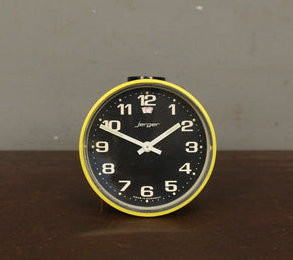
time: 1:49
